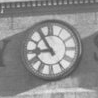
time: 8:54
